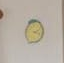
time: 2:18
